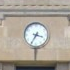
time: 3:35
